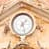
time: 1:26
